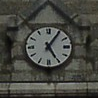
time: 5:05
